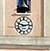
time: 2:48
